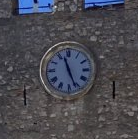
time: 11:26
